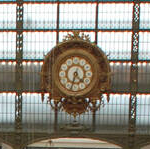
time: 4:33
